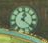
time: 12:22
